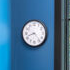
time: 8:23
